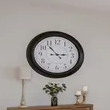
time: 2:53
